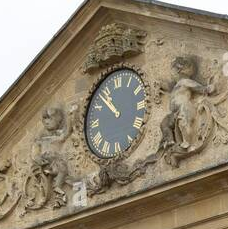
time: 10:52
